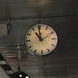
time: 10:59
